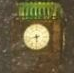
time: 5:42
